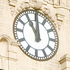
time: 11:00
